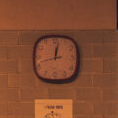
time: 12:01
